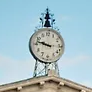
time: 9:47
